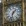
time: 1:32
